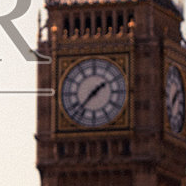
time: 1:37
